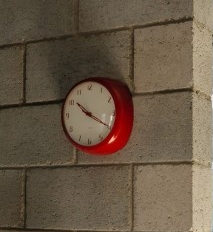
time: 10:19
